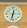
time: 6:32
